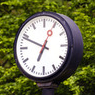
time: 6:48
